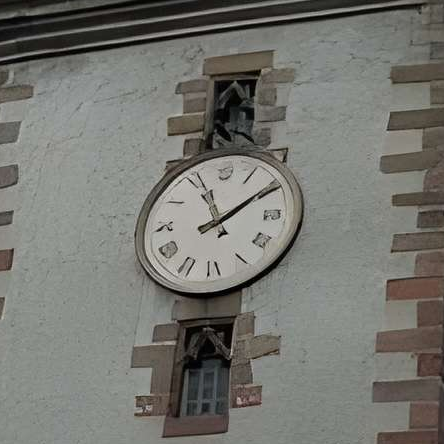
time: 1:56
